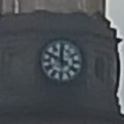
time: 11:49
